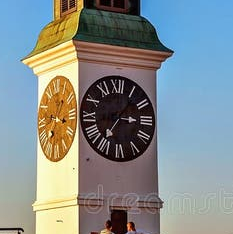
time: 3:06
